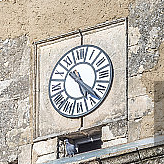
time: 5:22
